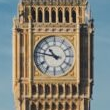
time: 10:47
